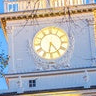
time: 6:23
